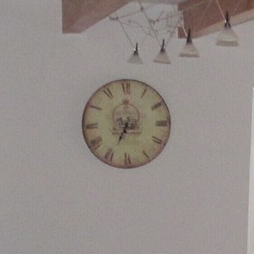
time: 7:00
